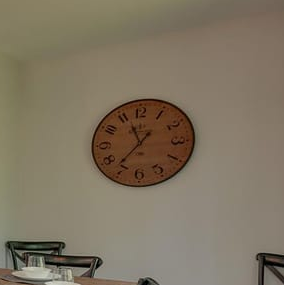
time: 11:36
